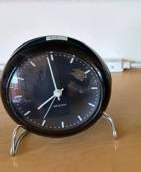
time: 7:59
